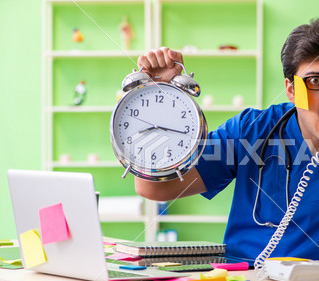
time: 8:16
